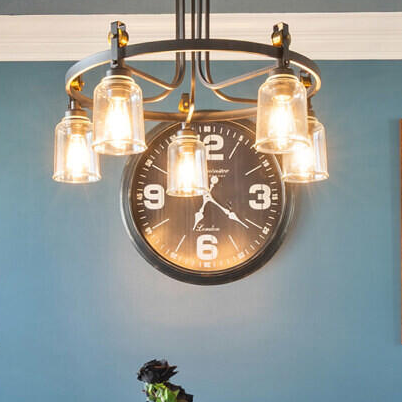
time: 6:20
